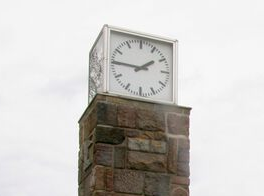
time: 1:45
